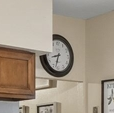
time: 8:32
